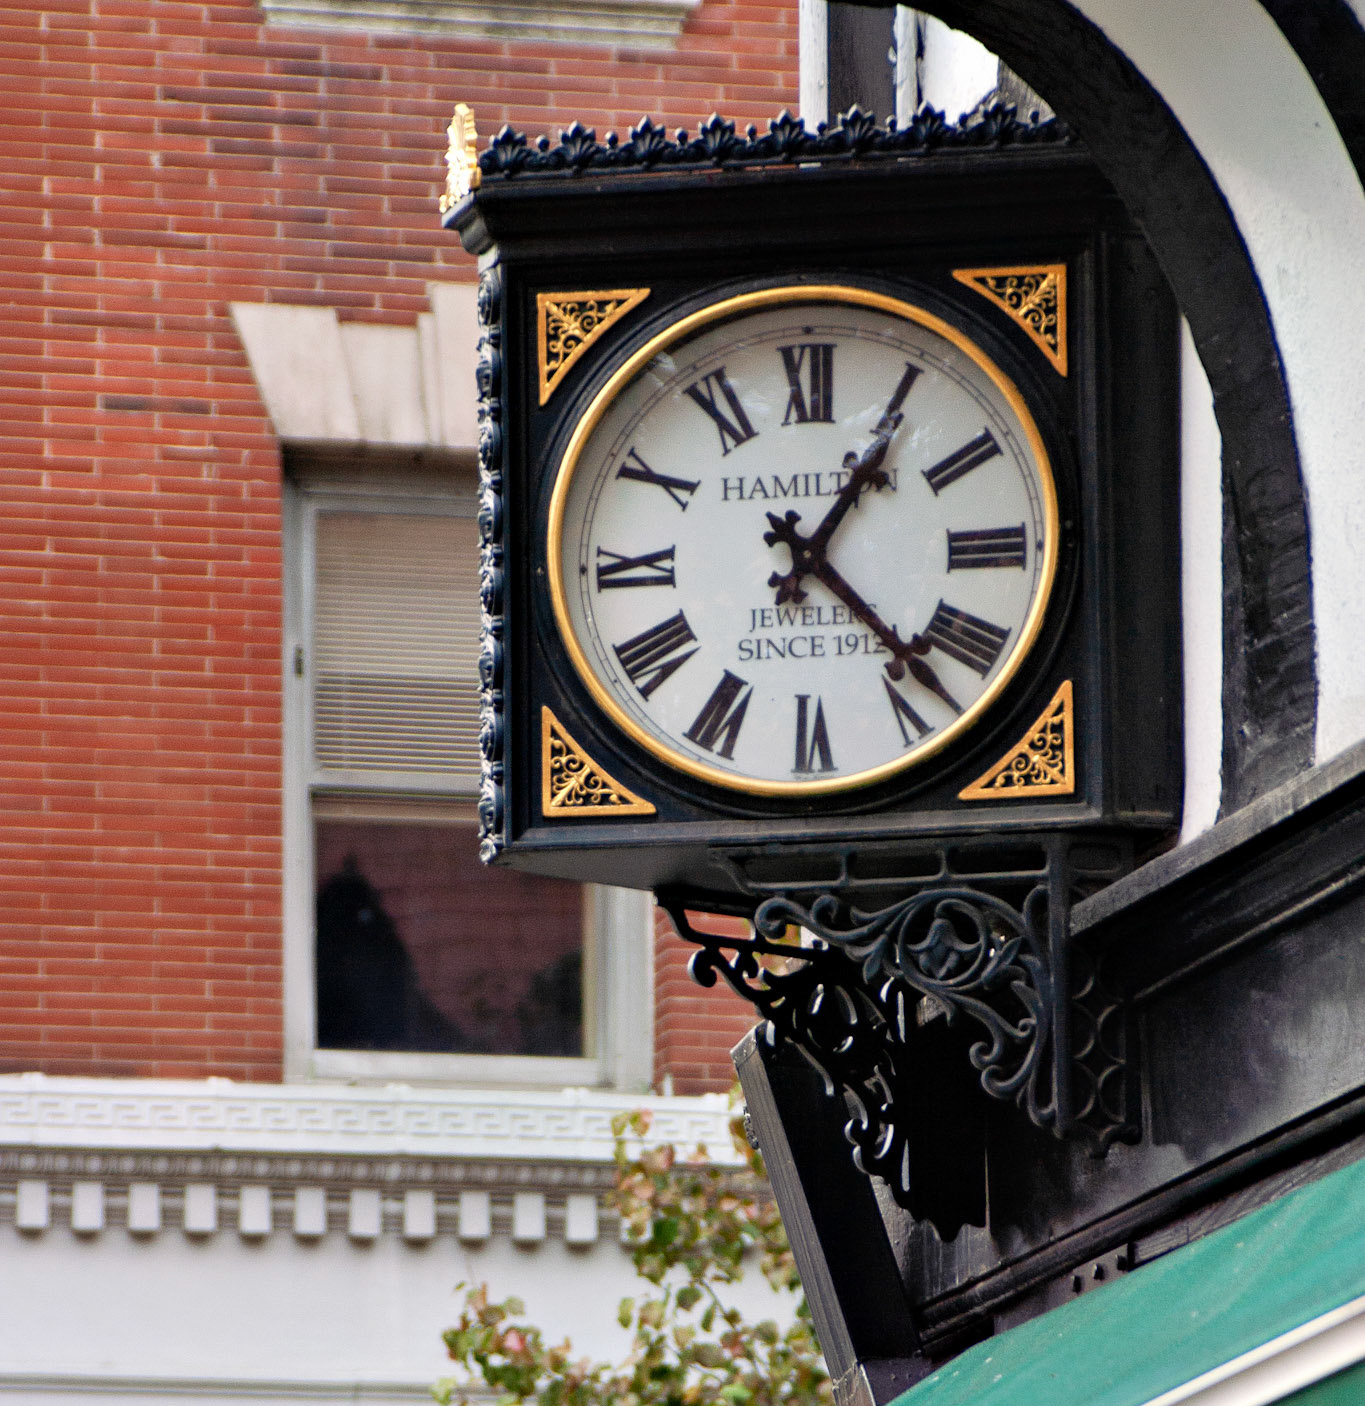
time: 1:22
